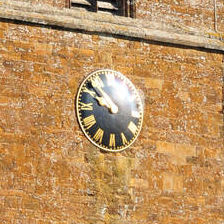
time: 9:51
